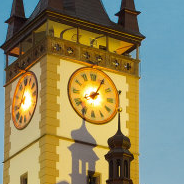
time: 8:04
